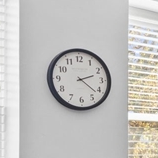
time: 2:21
